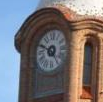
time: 4:49
